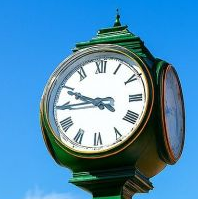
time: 9:44
